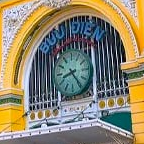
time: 8:24
